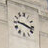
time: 9:17
